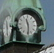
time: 11:29
